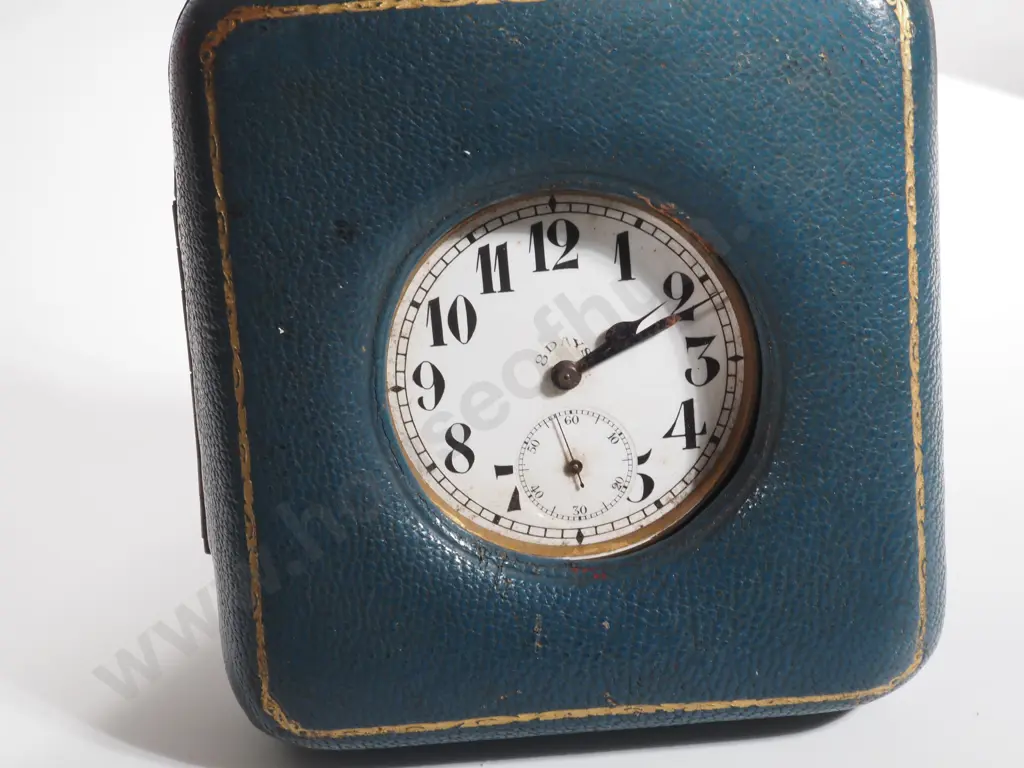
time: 2:11
